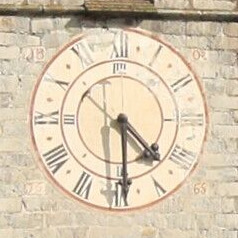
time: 4:29
